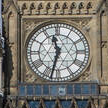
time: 11:32
